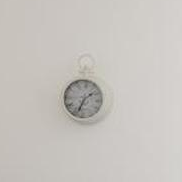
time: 1:33
